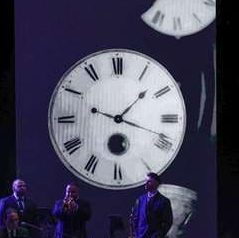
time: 1:18
